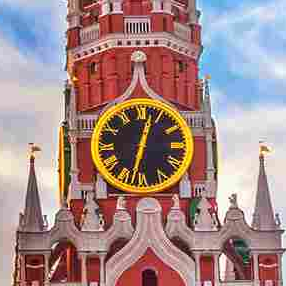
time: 12:32
